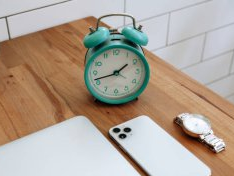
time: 1:42
